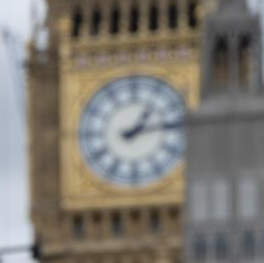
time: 1:13
